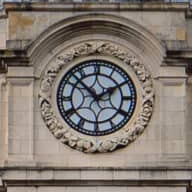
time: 1:52
